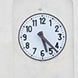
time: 5:22
